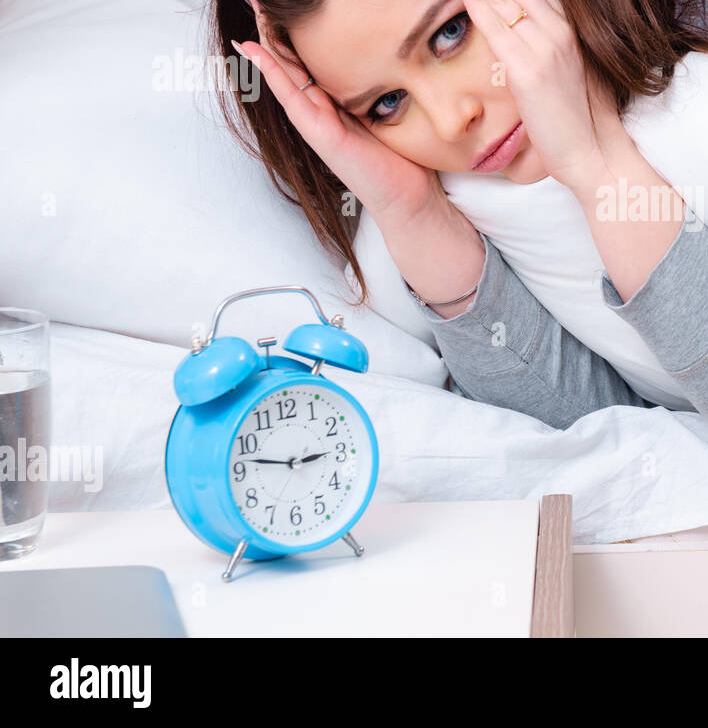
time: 2:46
